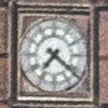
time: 7:21
